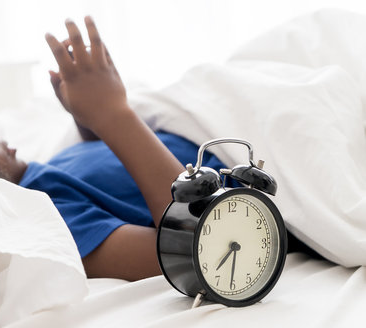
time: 7:31
